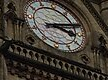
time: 3:11
